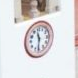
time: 11:31
